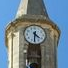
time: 4:31
